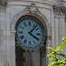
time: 4:07
